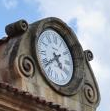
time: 4:39
